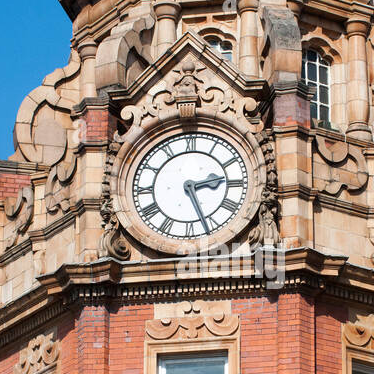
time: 2:26
